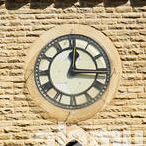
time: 12:15
